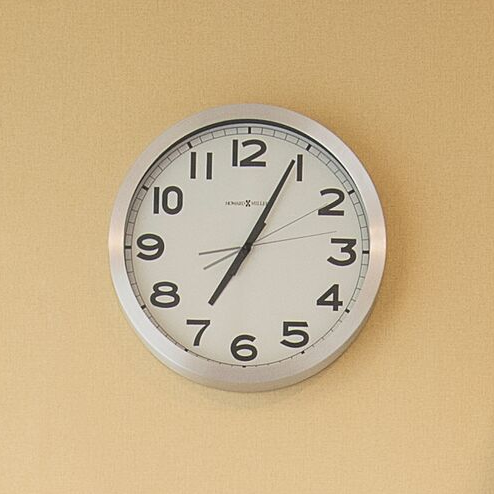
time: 7:04
